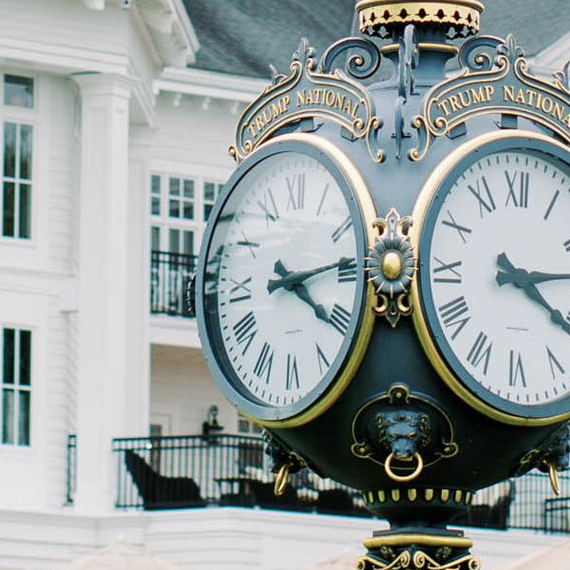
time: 4:13
